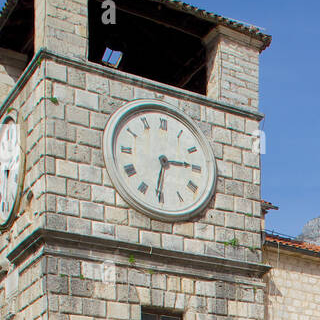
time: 6:14
